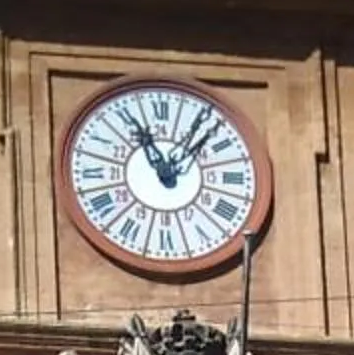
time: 11:07
